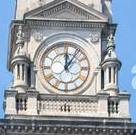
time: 12:06
